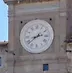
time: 2:38
